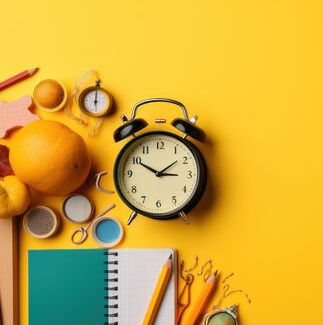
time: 2:50
